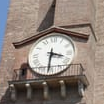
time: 3:31
